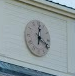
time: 12:19
